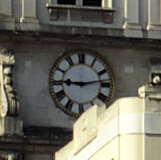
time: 9:13
